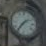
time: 1:36
